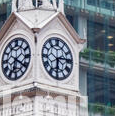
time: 6:14
